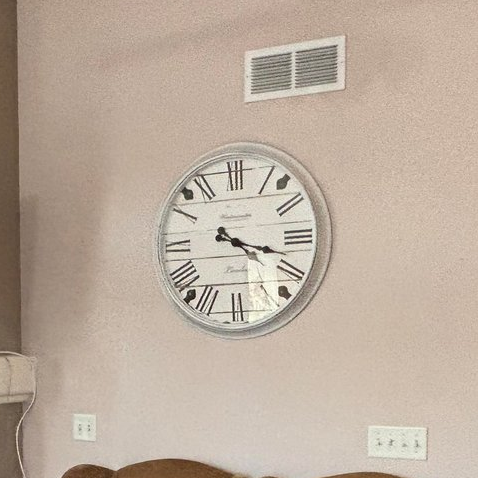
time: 4:17
